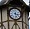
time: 3:27
